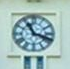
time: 11:18
